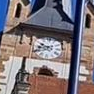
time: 9:42
